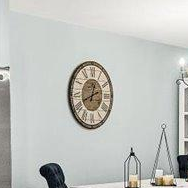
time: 12:41
